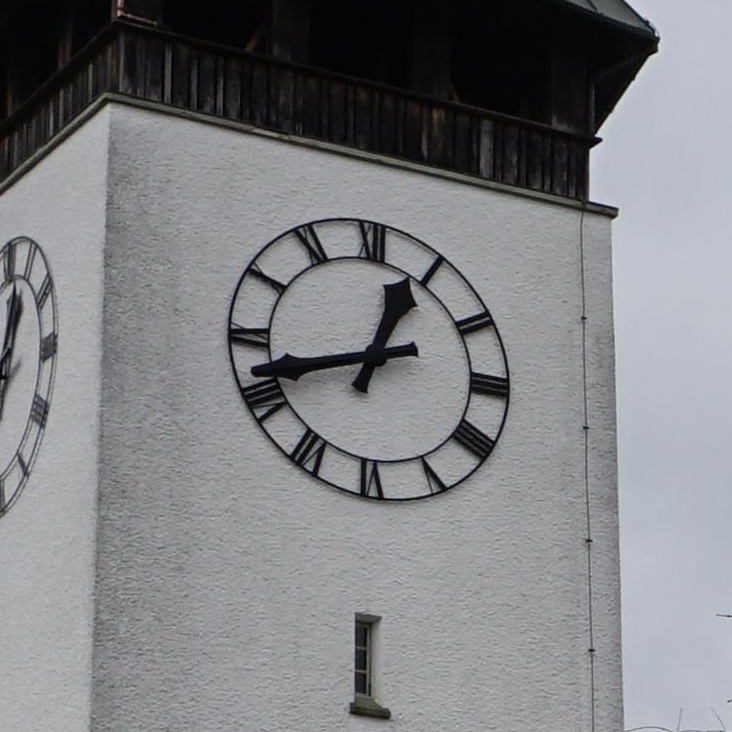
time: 12:41
